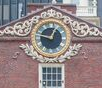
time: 12:46
